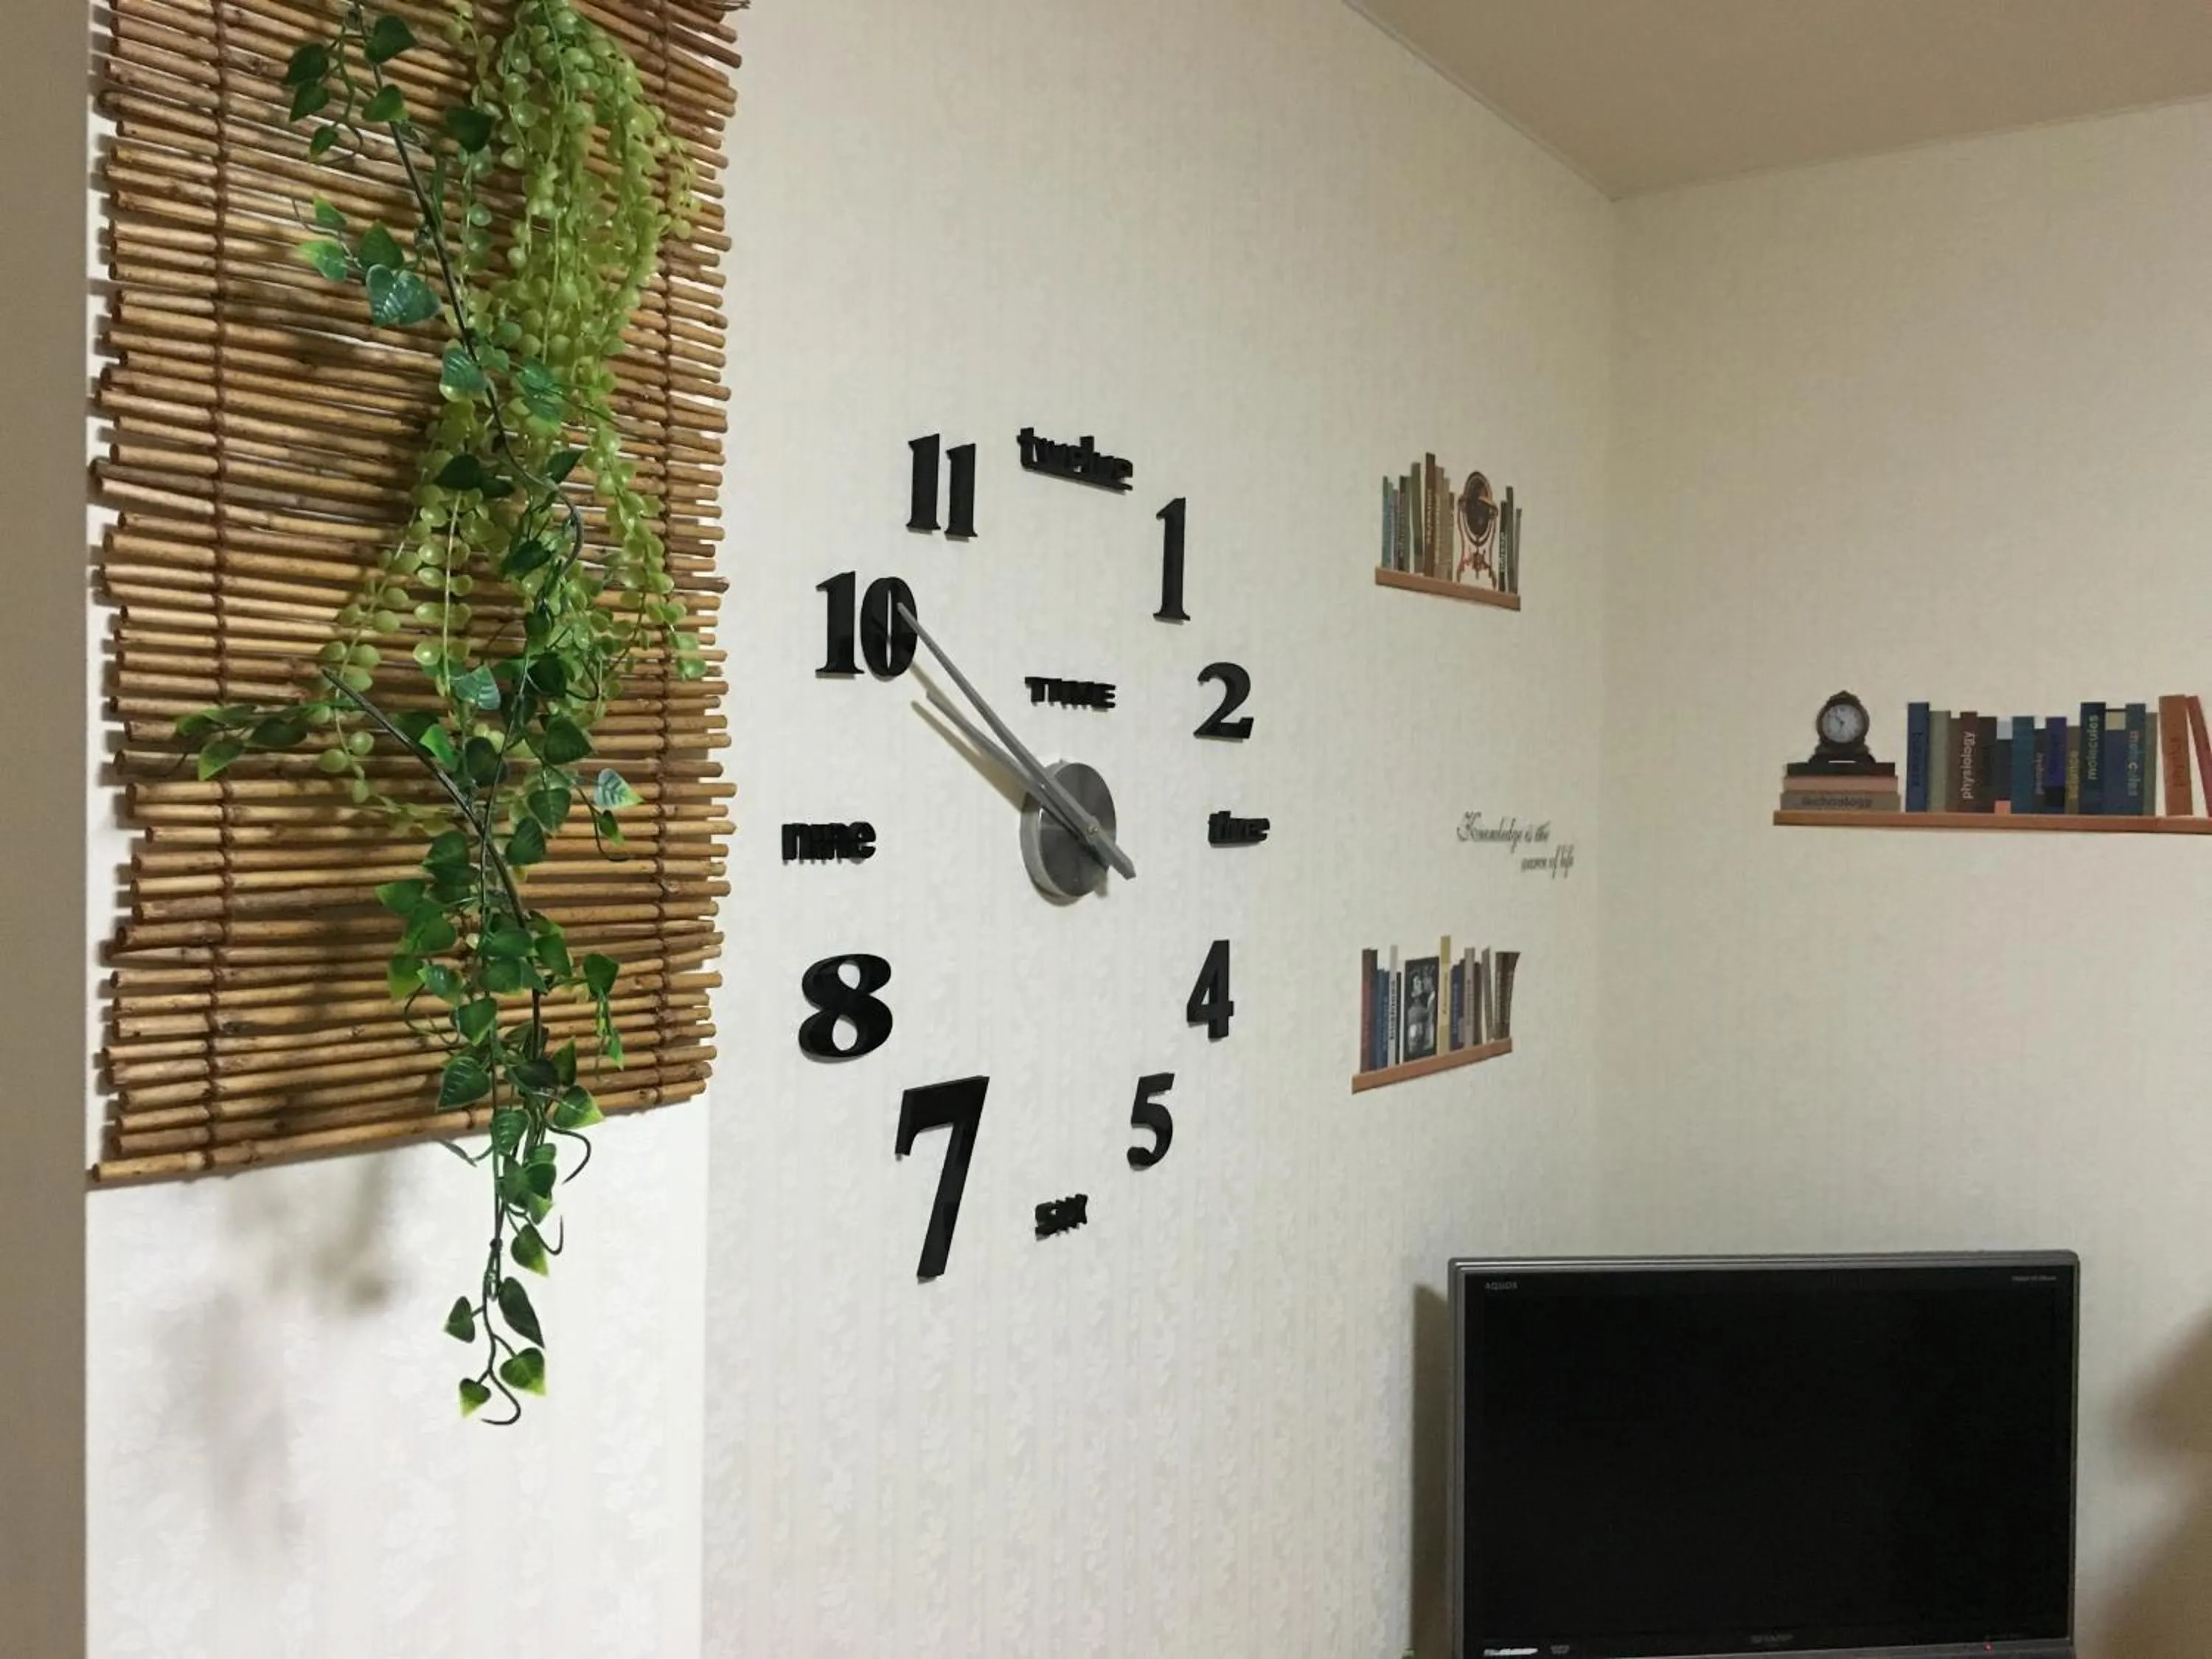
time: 3:51
